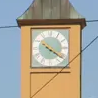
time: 10:20
